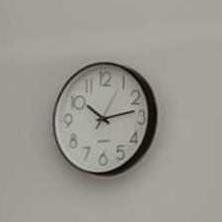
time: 10:13
